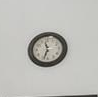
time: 11:33
